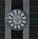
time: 6:13
